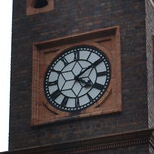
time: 4:09
